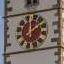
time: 12:07
